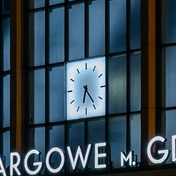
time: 6:23
